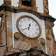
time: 6:39
